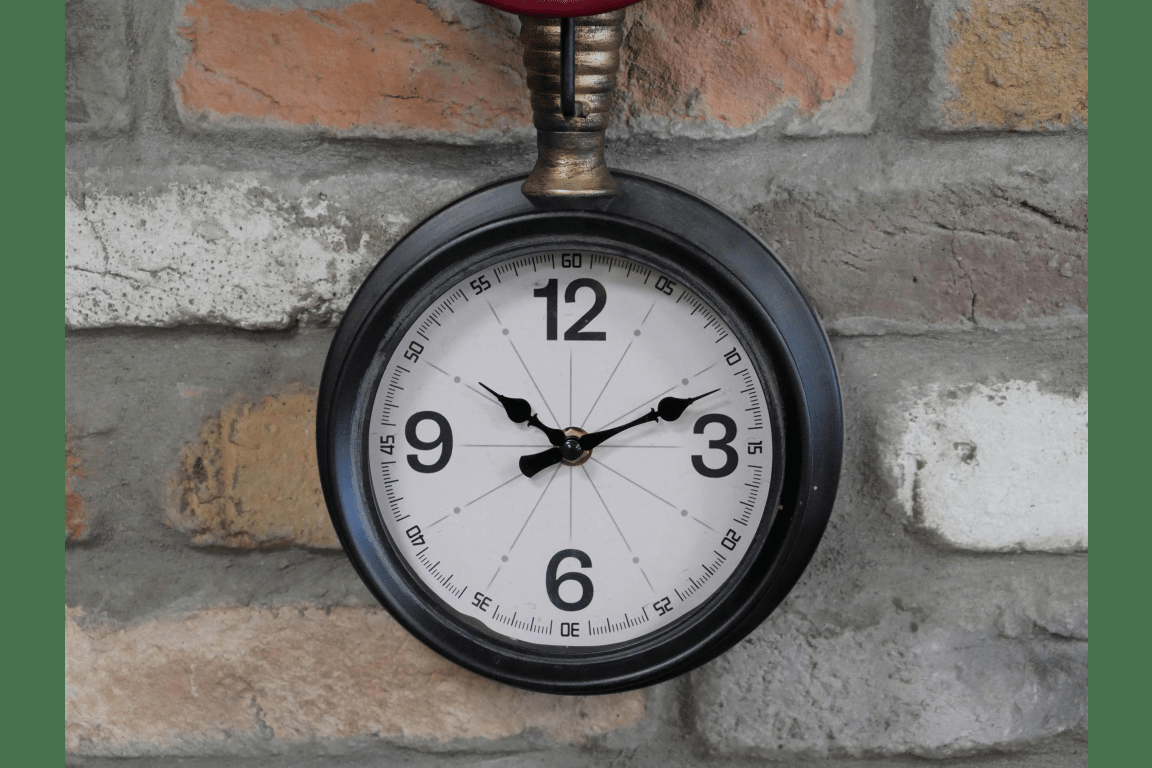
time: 10:11
